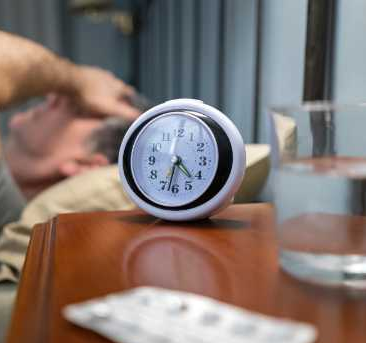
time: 4:32
